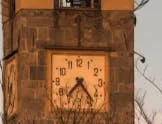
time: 7:23
